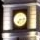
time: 7:13
